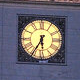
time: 5:35
